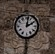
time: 2:01
